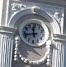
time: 11:42
